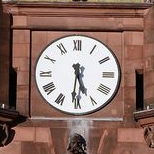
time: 5:31
